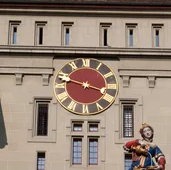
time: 3:47
